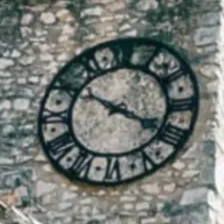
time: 3:50
